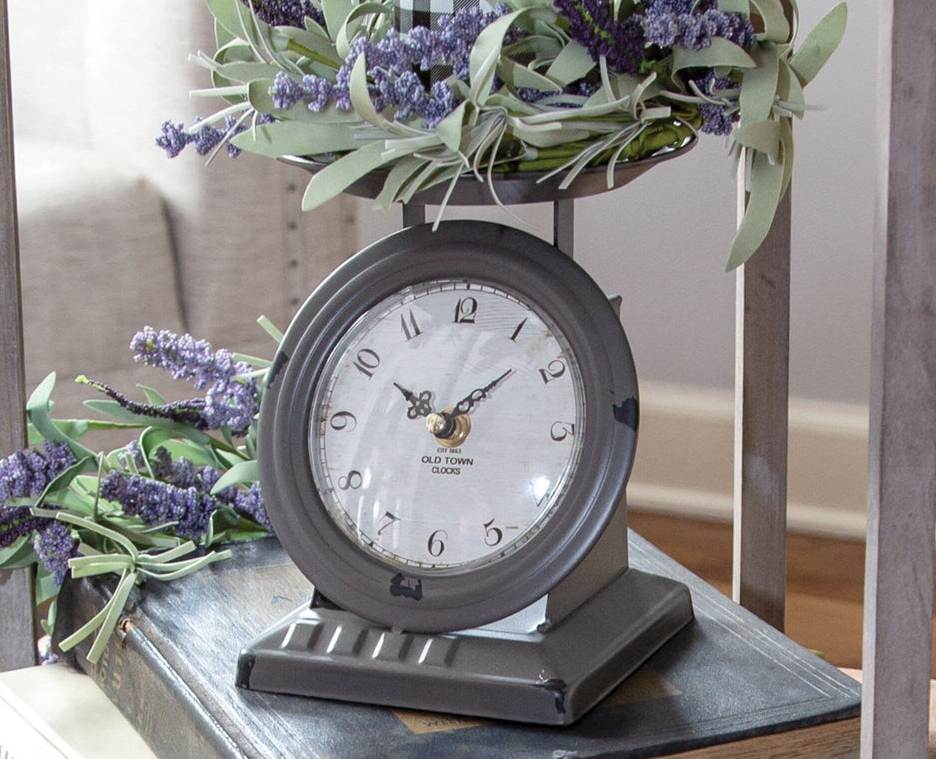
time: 10:07
